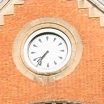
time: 7:36
